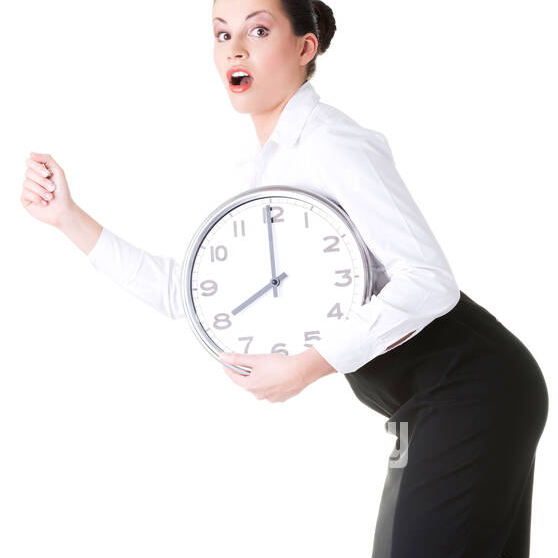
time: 7:59
